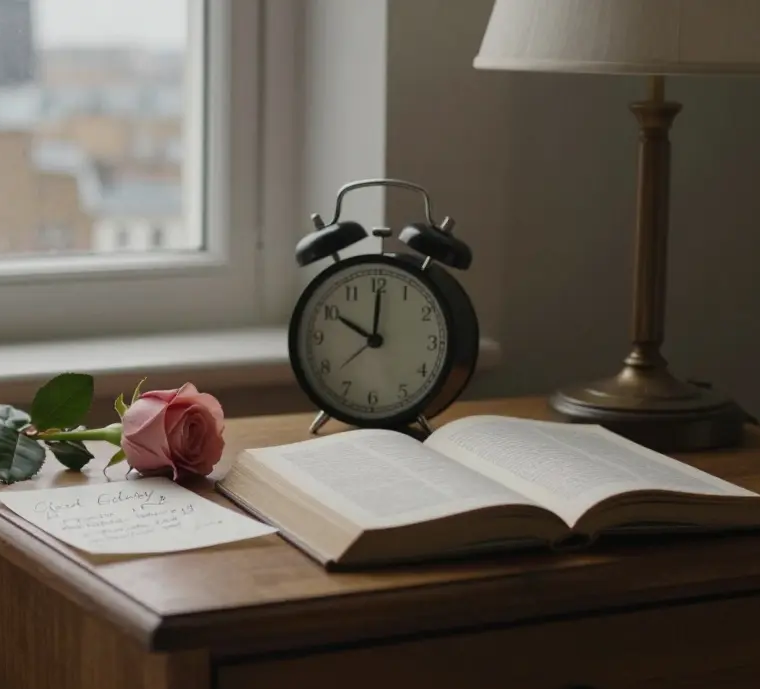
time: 10:00
